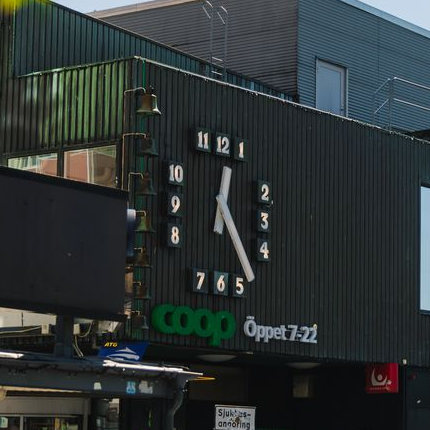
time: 12:23
